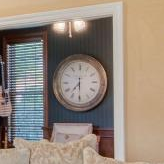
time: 7:30
